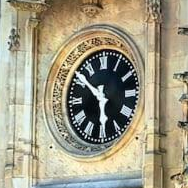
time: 5:51
